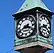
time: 8:18
